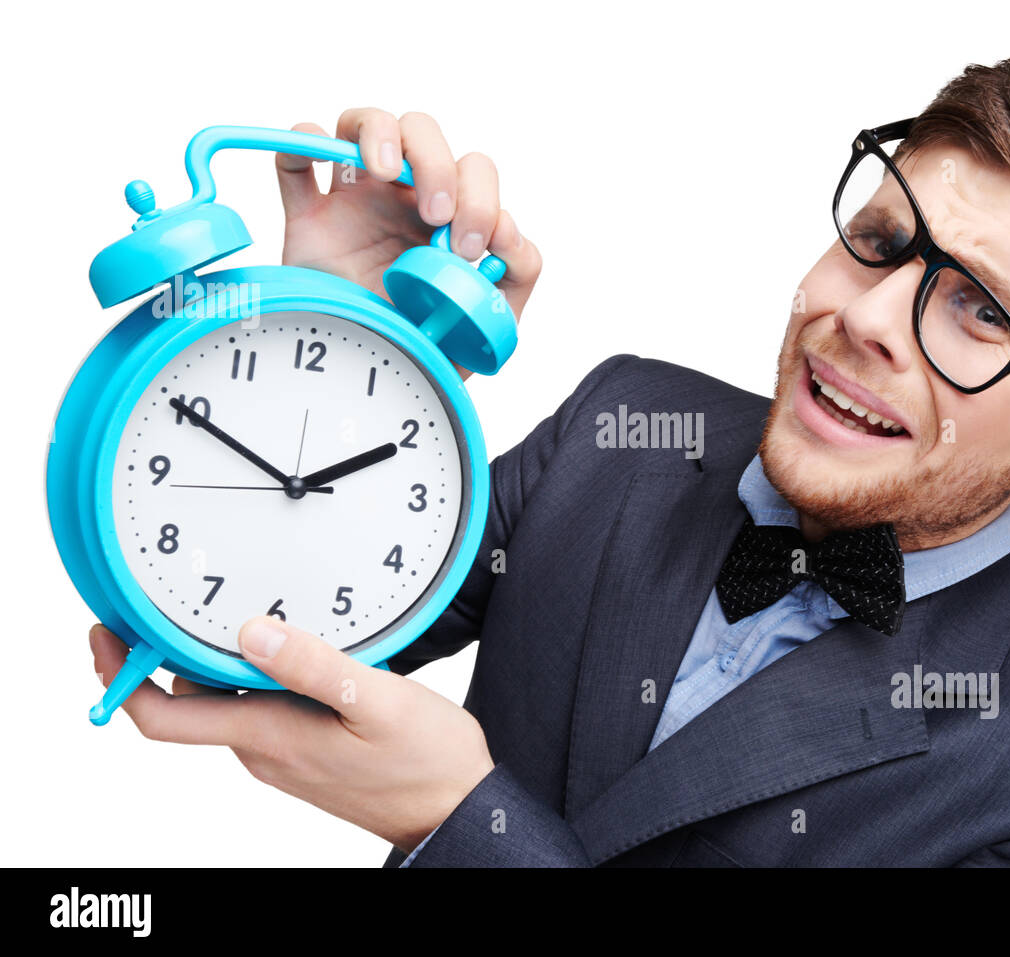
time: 1:49
